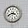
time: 3:40
